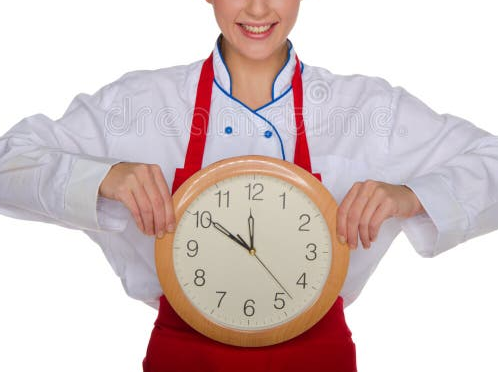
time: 11:50
